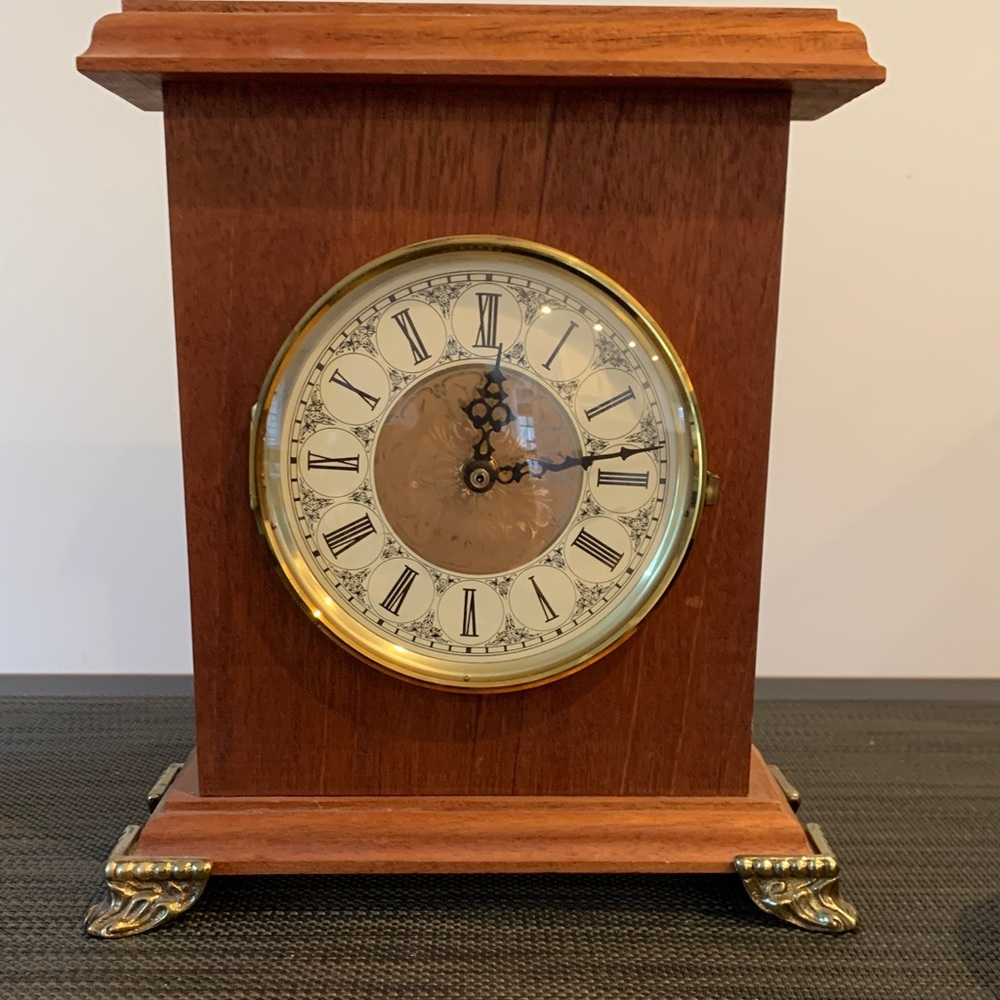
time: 12:13
